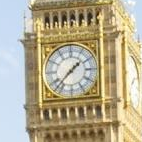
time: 1:37
